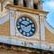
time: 1:47
